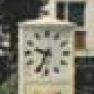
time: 9:34
